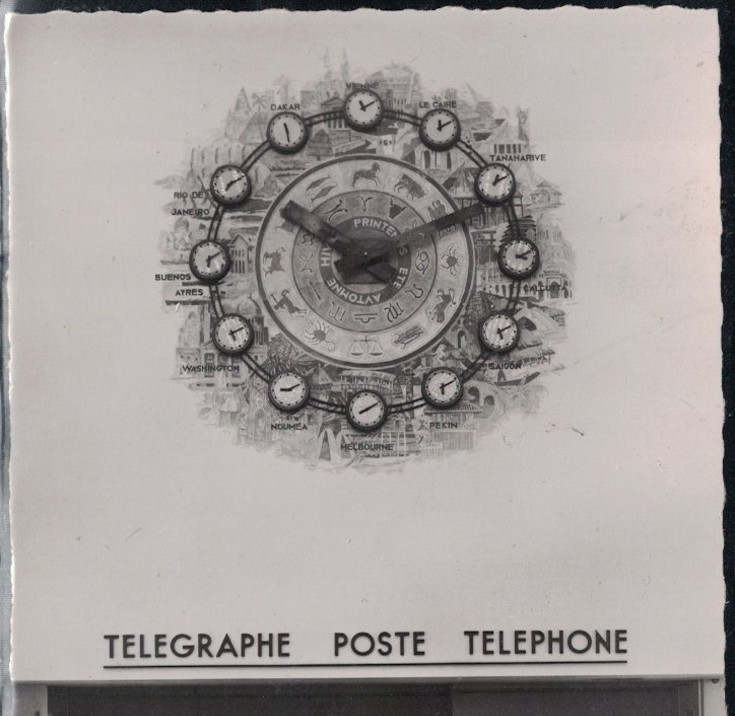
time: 10:11
